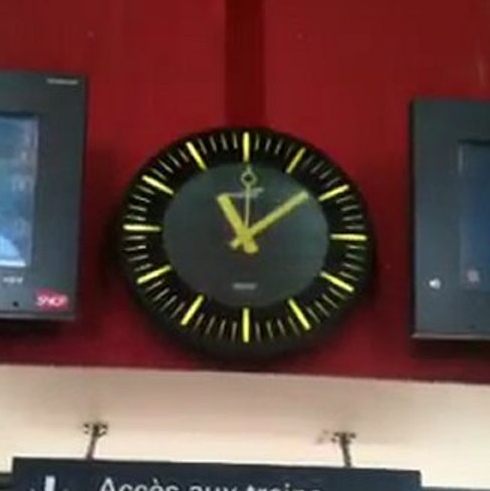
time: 11:08
